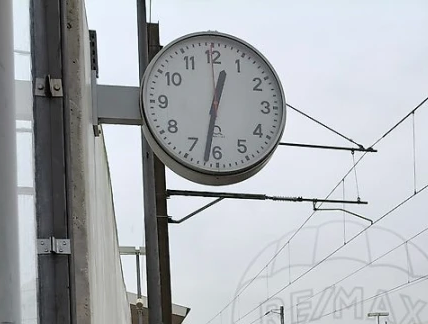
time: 12:31
